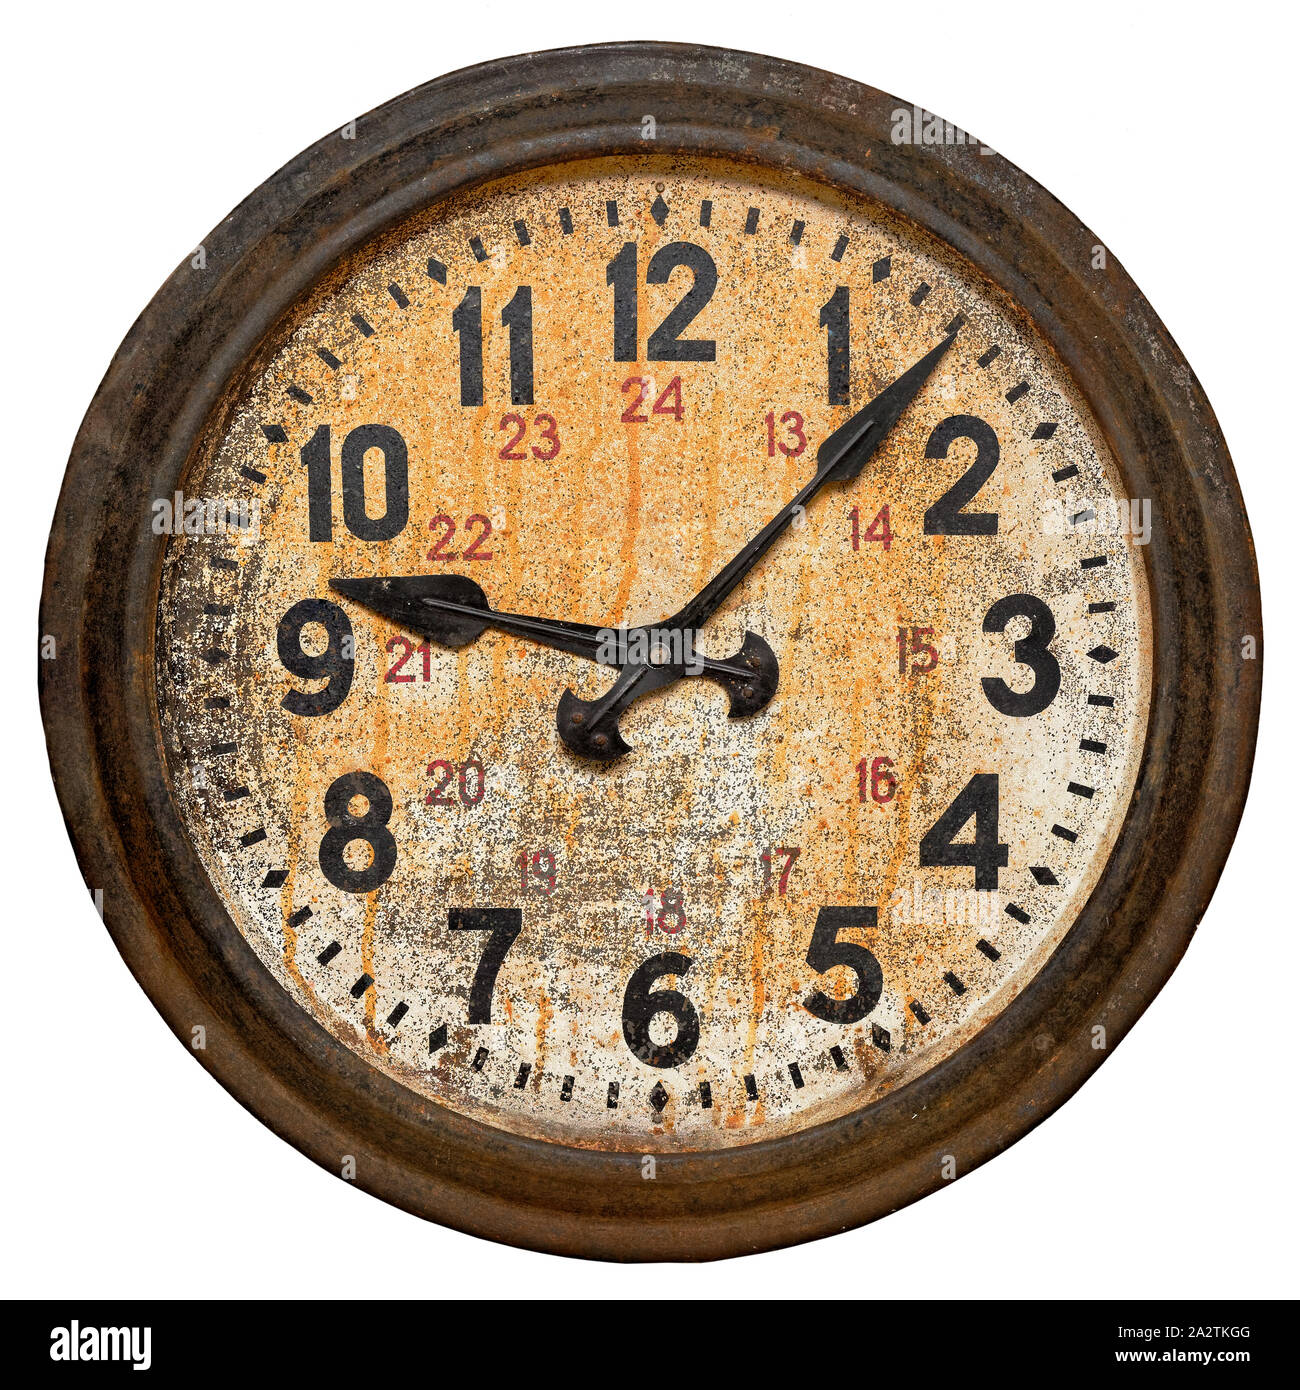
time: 9:07
